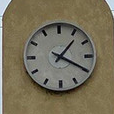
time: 1:19
